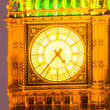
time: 4:37
